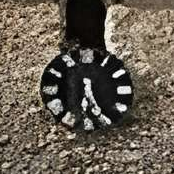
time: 6:25
